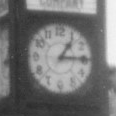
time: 1:14
